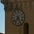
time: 7:25
